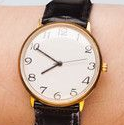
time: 7:49
